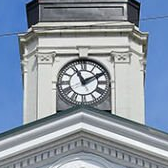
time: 11:09
